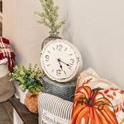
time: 5:18
